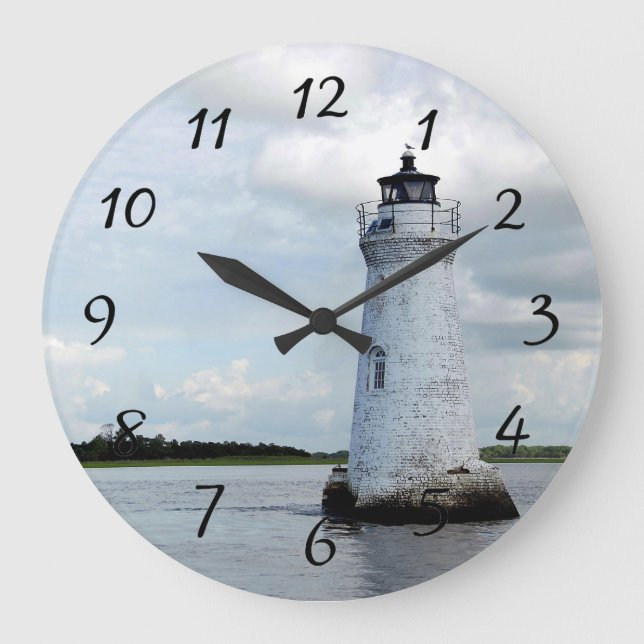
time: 10:05
